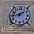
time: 1:44
